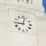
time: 9:02
